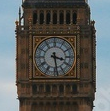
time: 3:28
